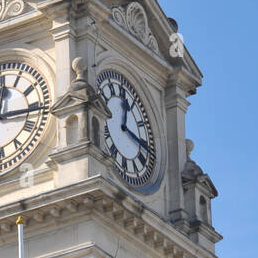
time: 12:16
